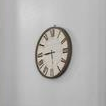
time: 5:44
